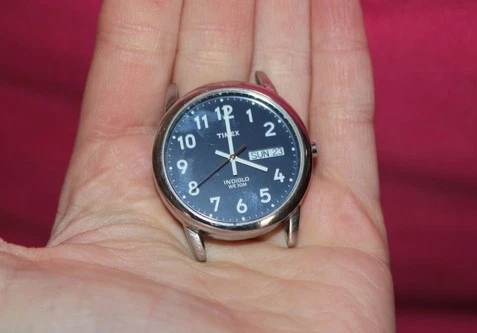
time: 4:00
